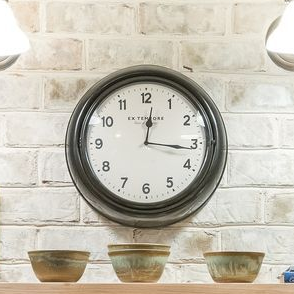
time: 12:16
